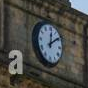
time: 12:09
